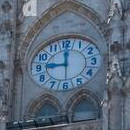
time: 9:00
